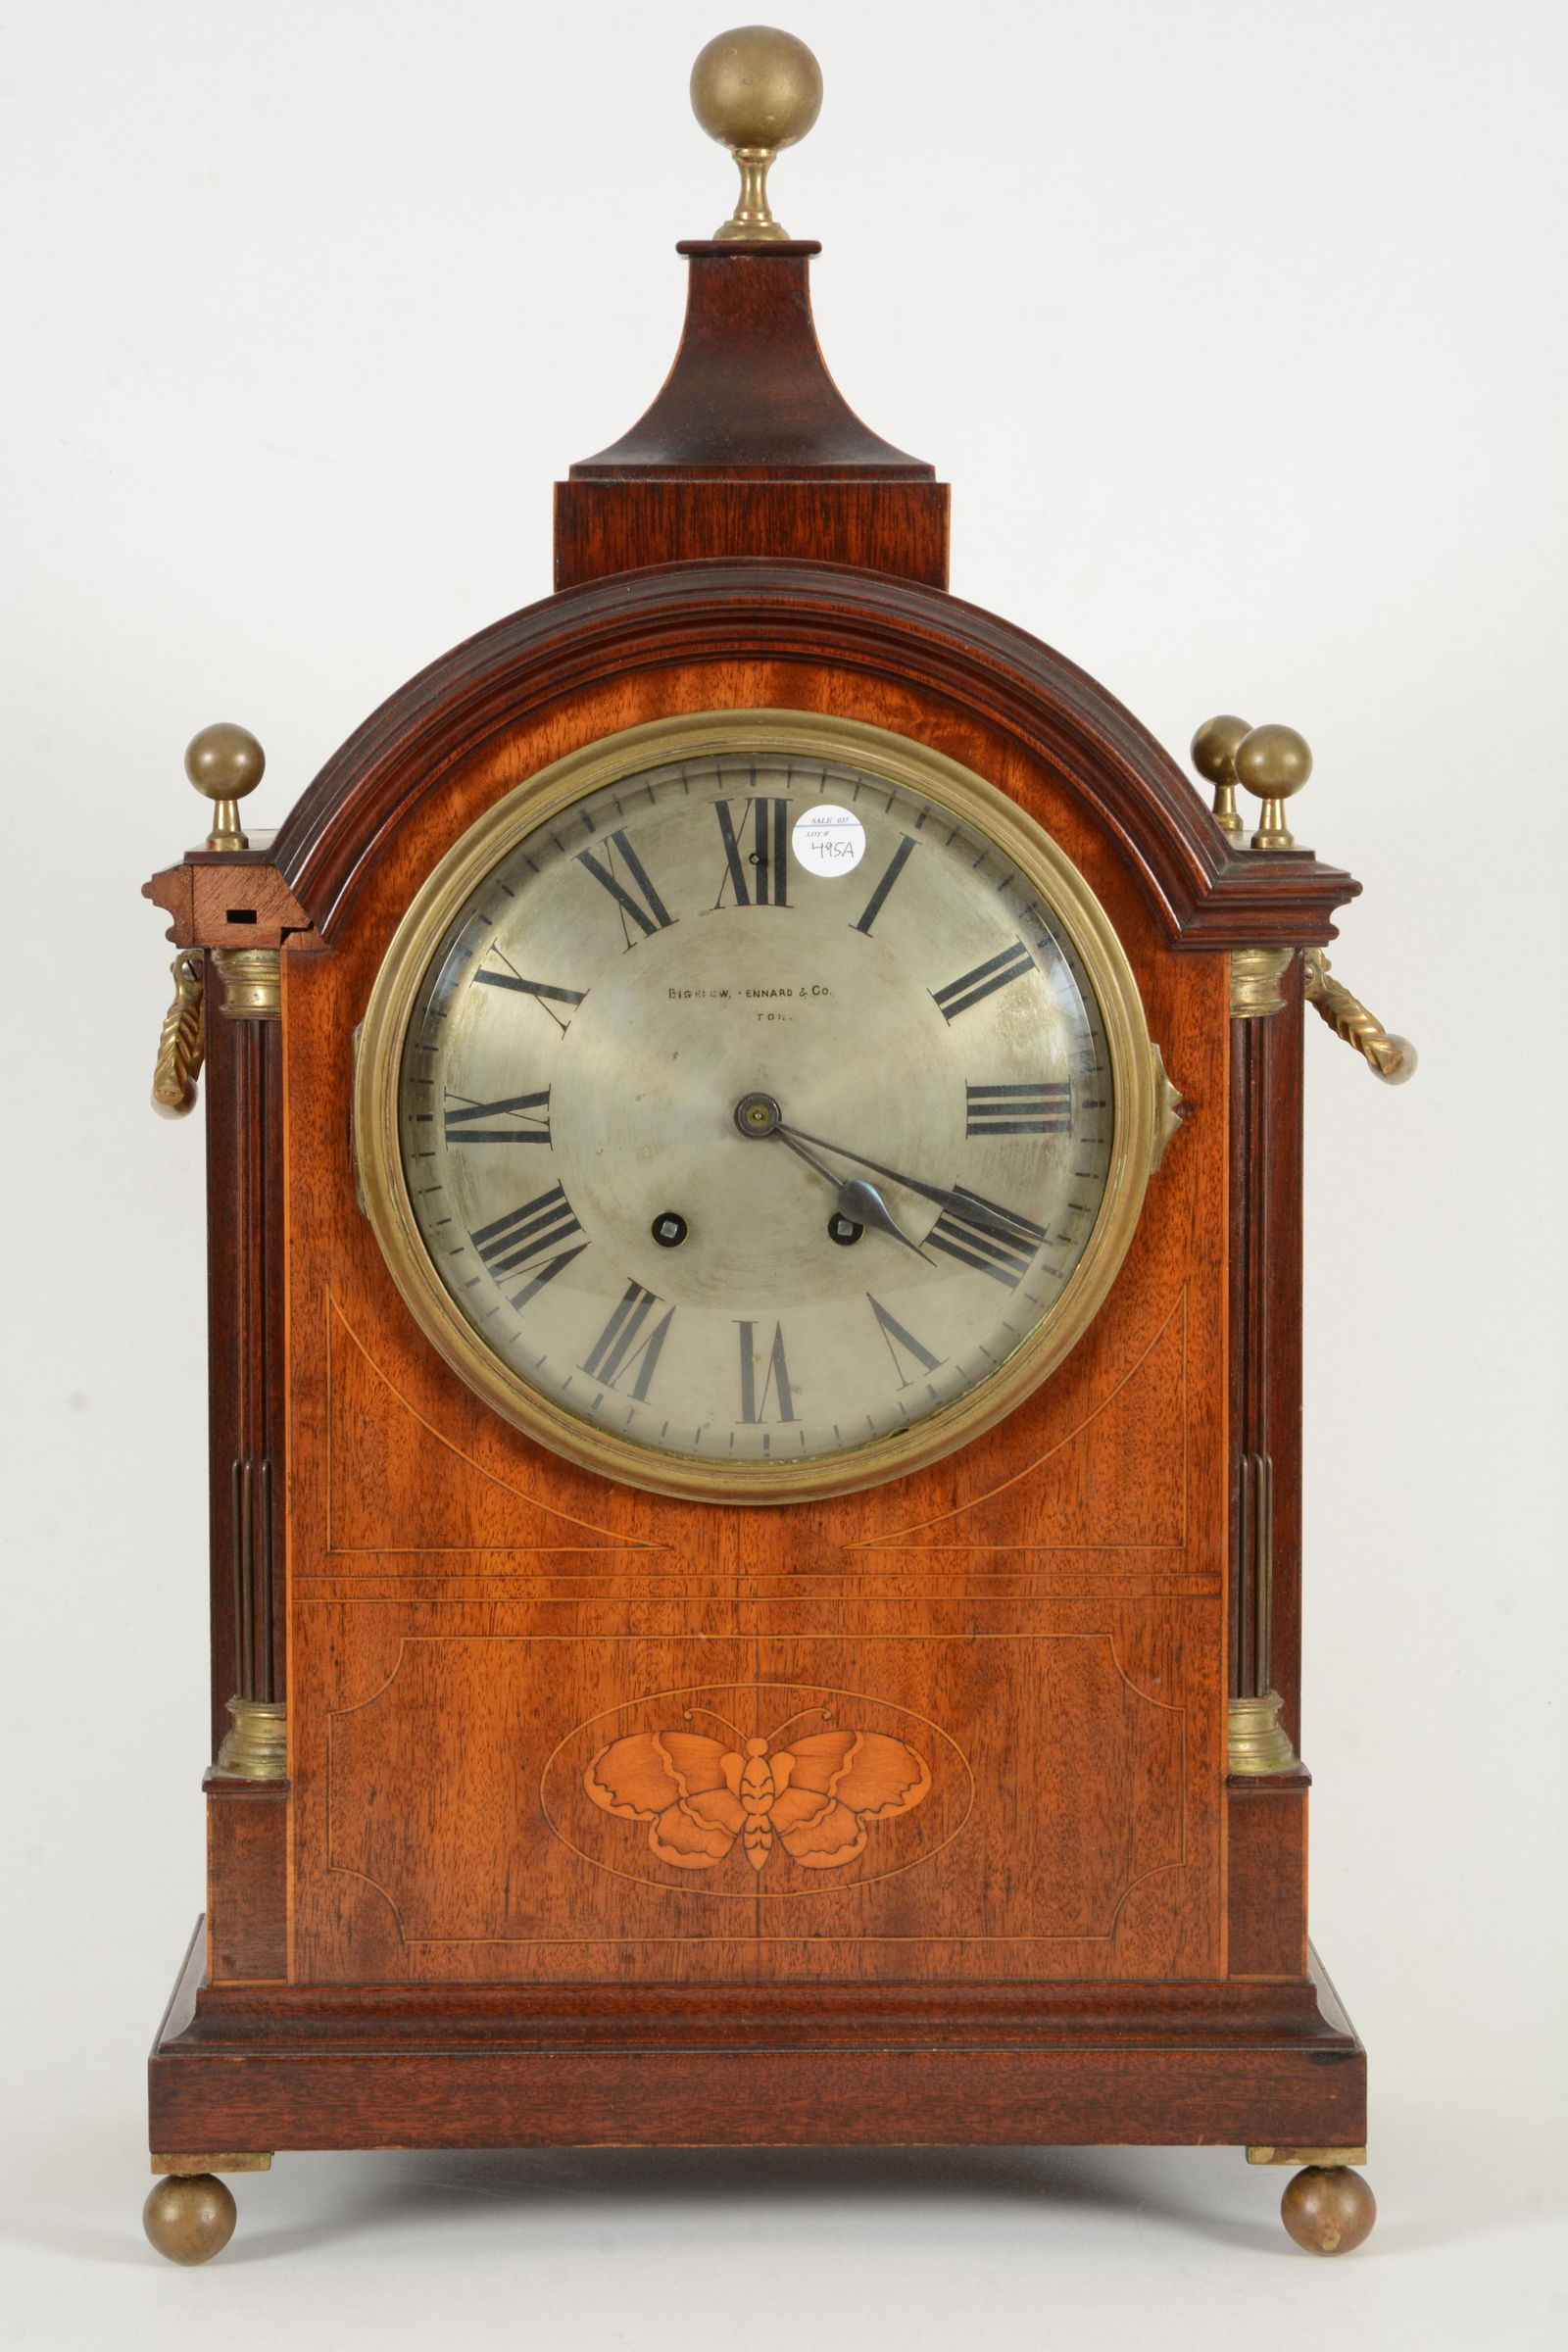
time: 4:17
